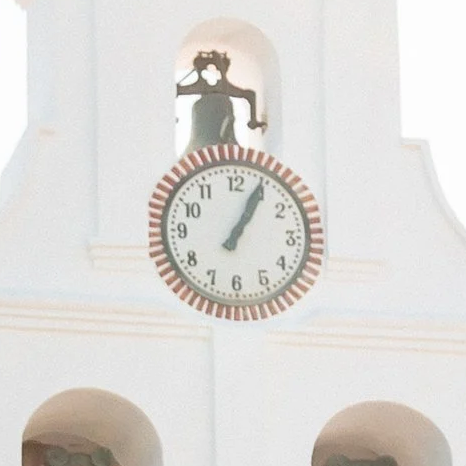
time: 1:04
